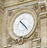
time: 4:22
